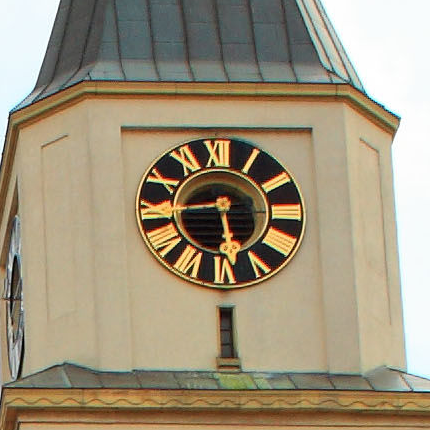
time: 5:44
